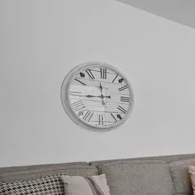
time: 11:44
